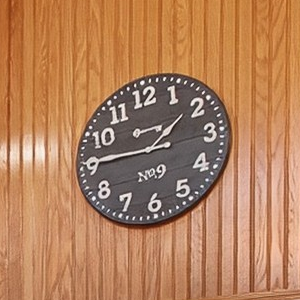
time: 1:45
